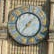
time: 7:07
